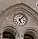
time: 5:06
